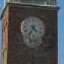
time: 4:35
